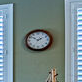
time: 1:51
